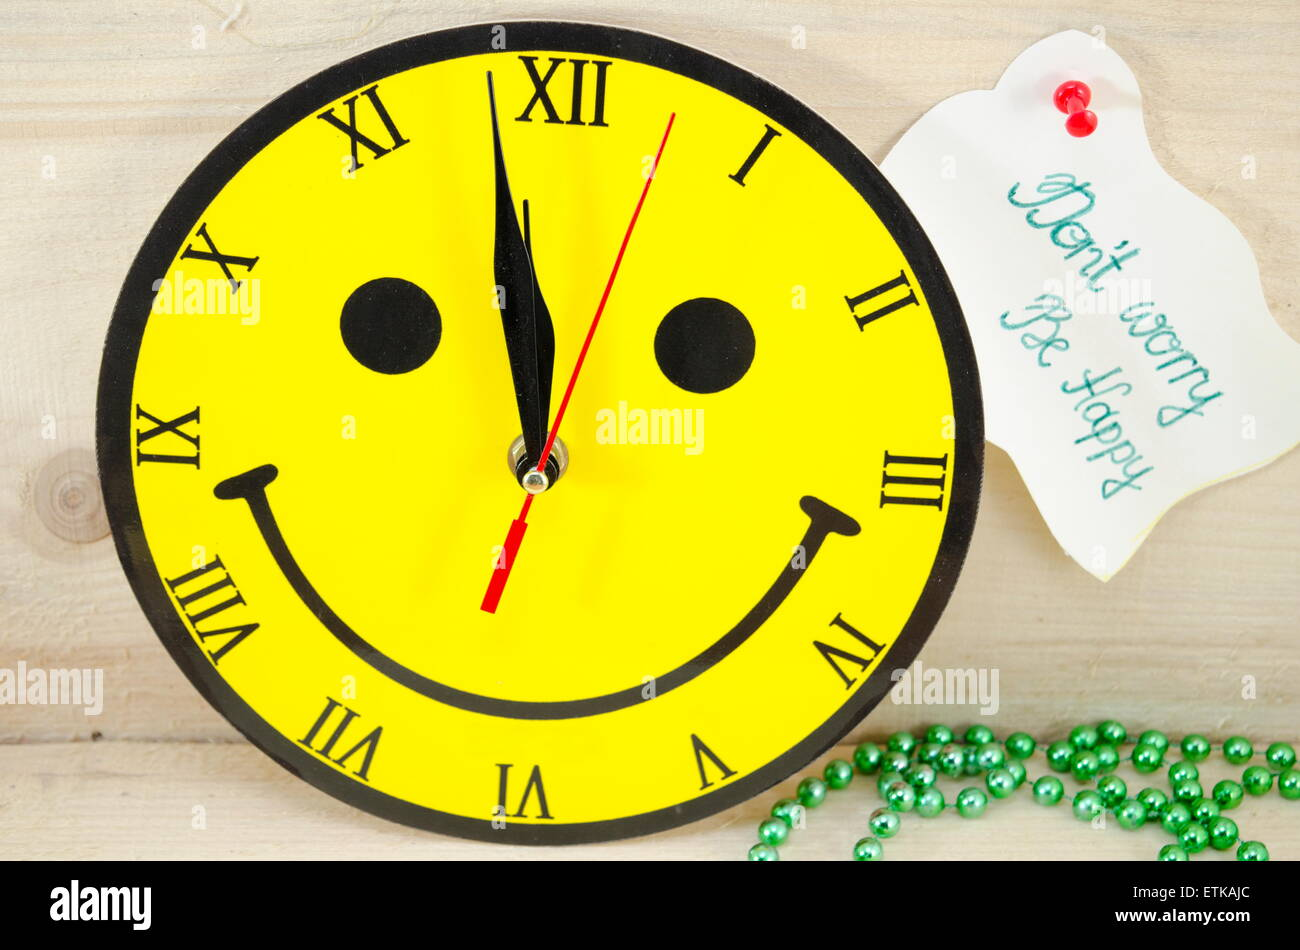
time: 11:58
